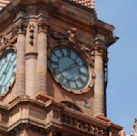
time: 1:39
